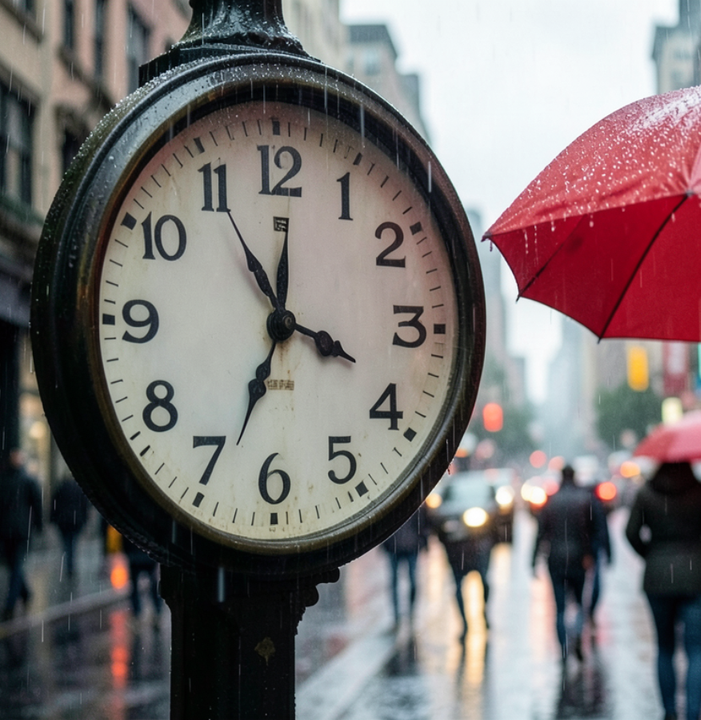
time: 3:33
